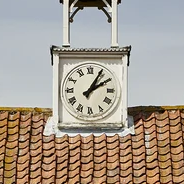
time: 2:05
